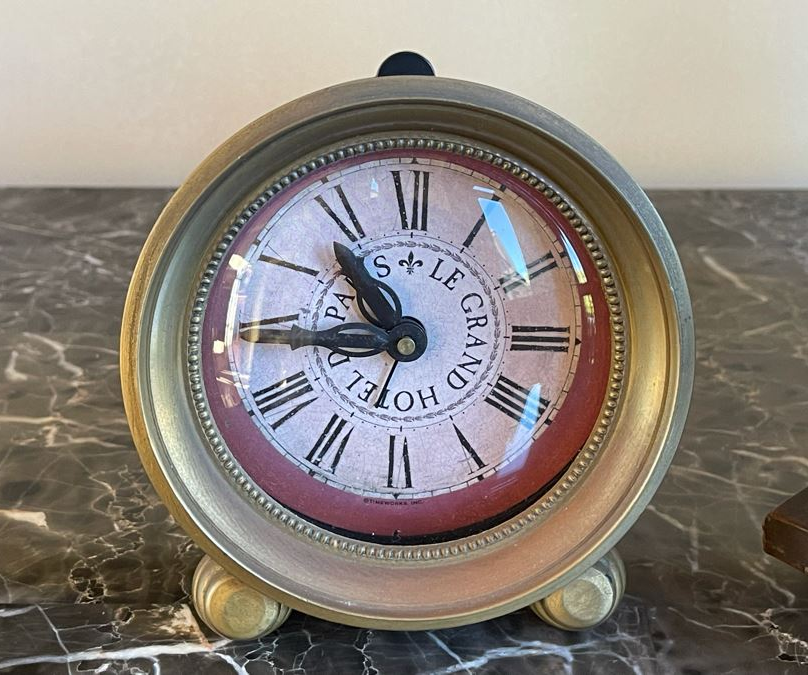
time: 10:44
